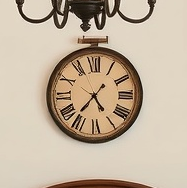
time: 4:36
